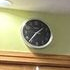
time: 1:36
